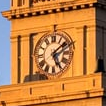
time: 5:08
